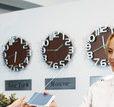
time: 1:45
